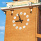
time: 8:56
